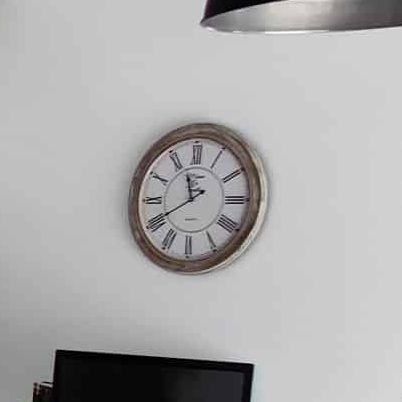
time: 11:40
